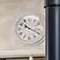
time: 10:18
